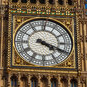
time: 4:18
